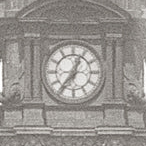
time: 12:36
